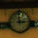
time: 2:59
